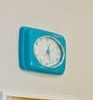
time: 12:26
